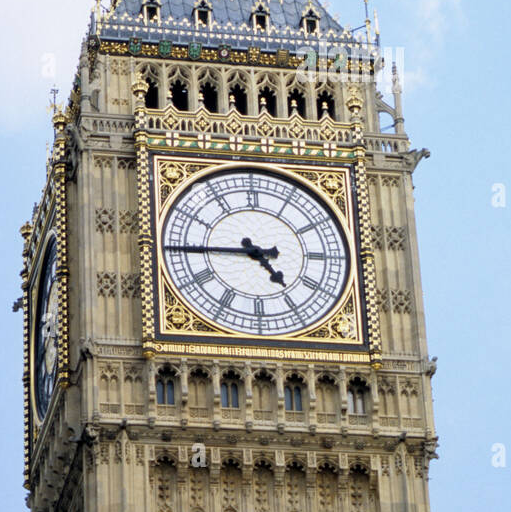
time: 4:44
